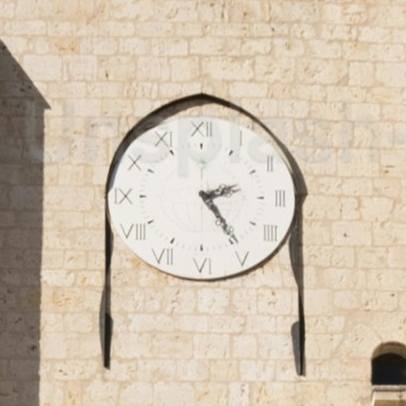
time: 2:24
